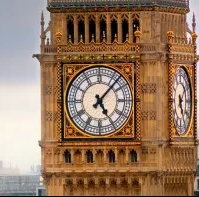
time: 5:07
